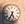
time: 5:34
